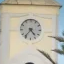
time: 4:36
